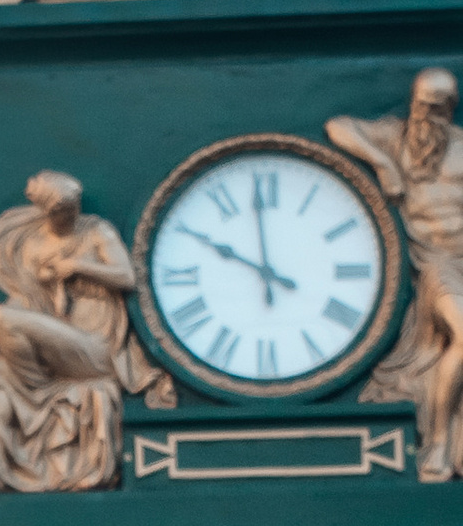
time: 9:58
